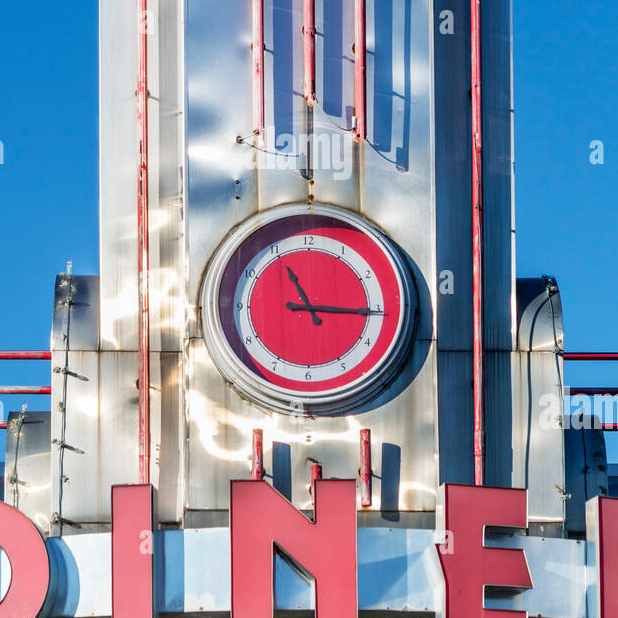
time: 11:15
